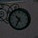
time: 10:34
